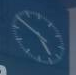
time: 4:50
